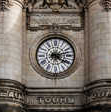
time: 4:12
